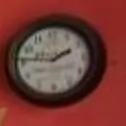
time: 1:46
